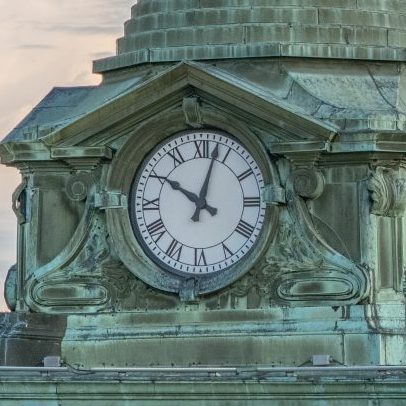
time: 10:02
